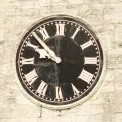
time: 9:52
